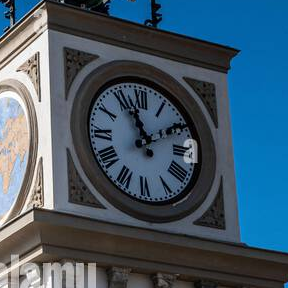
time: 1:56
